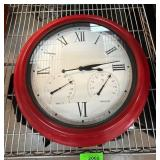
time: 3:13
